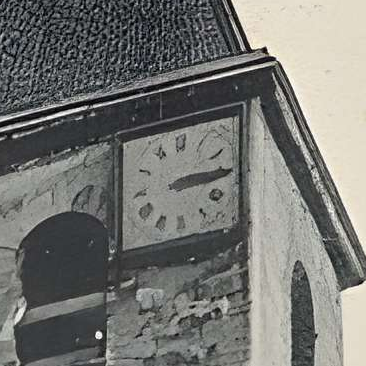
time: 3:14
